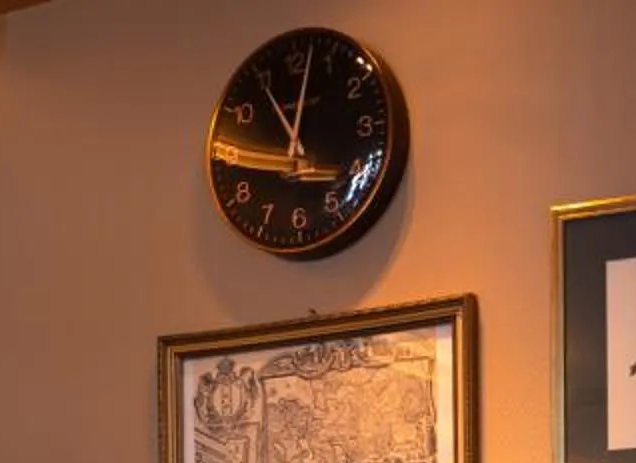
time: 11:02
